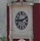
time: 9:11
